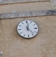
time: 12:23
